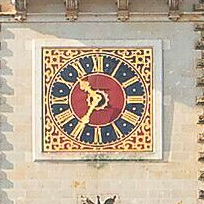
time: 10:36
